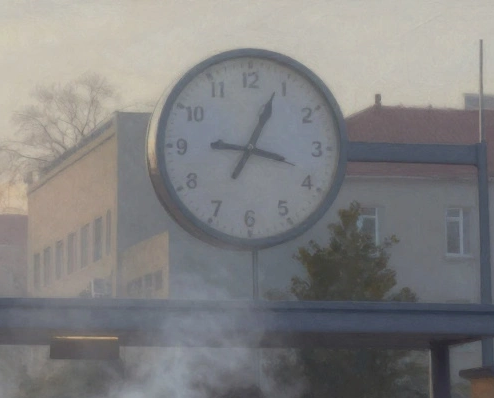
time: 9:04
